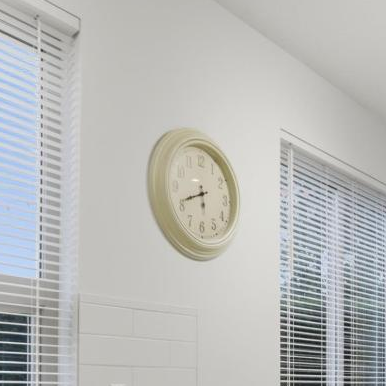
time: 5:41
